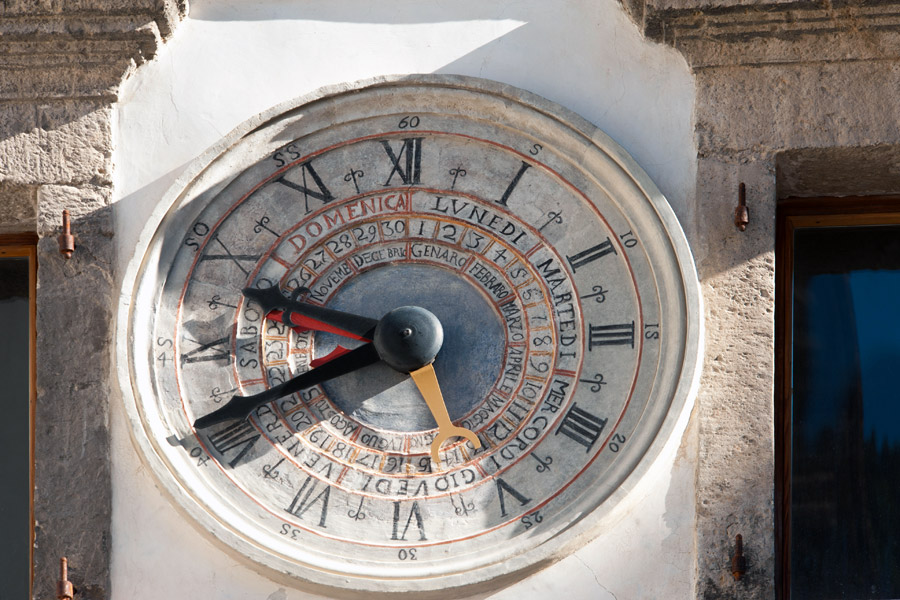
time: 9:41
